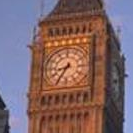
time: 8:35
